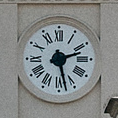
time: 2:27
